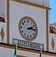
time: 2:14
